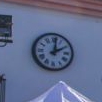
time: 2:01
